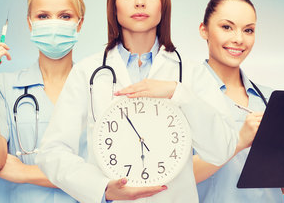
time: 5:55
